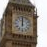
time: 12:00
